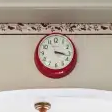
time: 3:17
